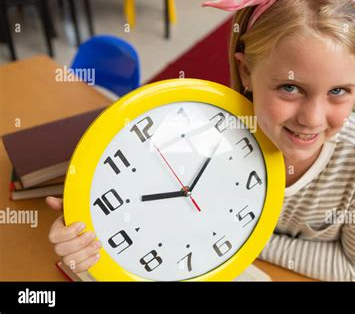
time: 9:07
